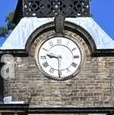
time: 9:30
